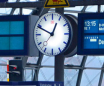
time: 12:49
